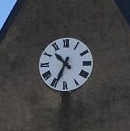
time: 10:34
